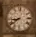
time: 8:39
